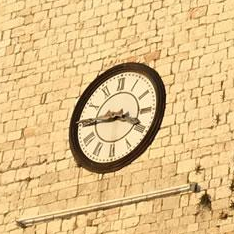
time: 3:44
